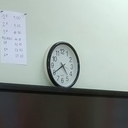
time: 4:40
